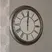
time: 12:00
